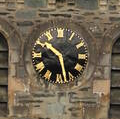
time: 10:28
